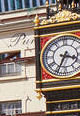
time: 3:34
